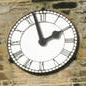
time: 1:57
